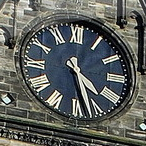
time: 4:27
